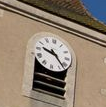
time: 9:22
